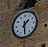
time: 1:29
